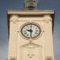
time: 9:30
